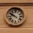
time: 9:50
